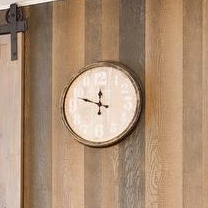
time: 11:48
